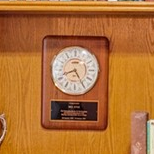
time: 8:24
